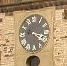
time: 4:17
